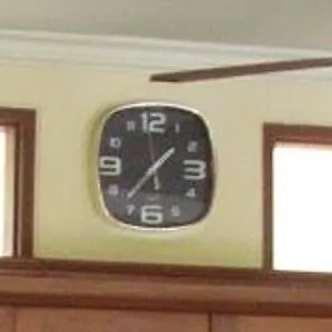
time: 1:36
